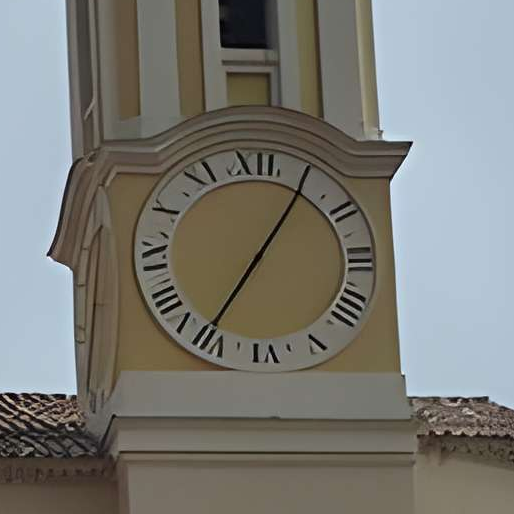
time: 7:05
